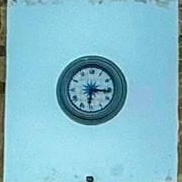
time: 6:15
